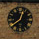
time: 12:38
